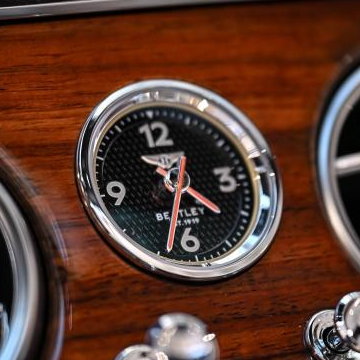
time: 4:33
